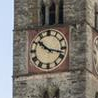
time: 10:17
